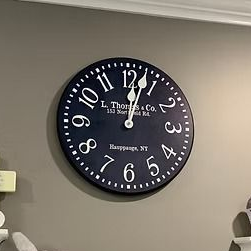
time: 12:02
